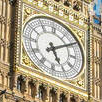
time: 5:09
